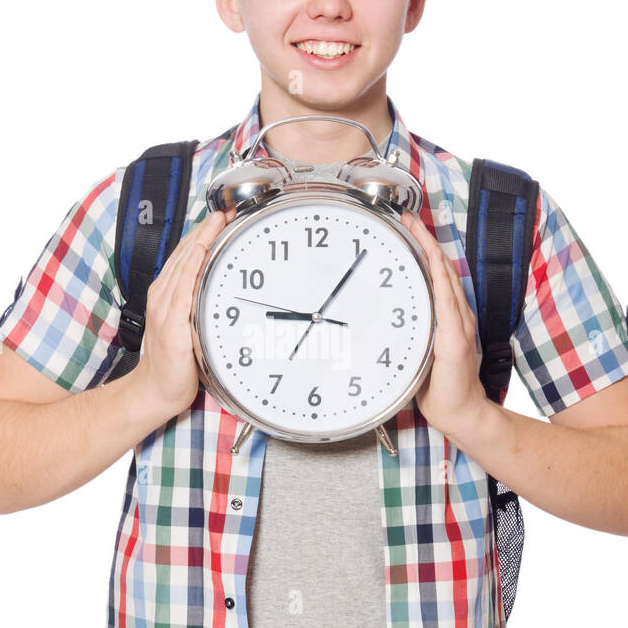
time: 9:06
